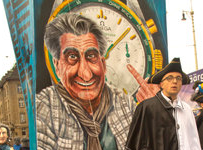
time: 12:07
